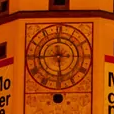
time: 5:44
